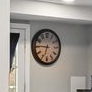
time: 6:45
